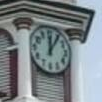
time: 12:05
